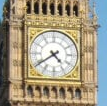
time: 4:39
